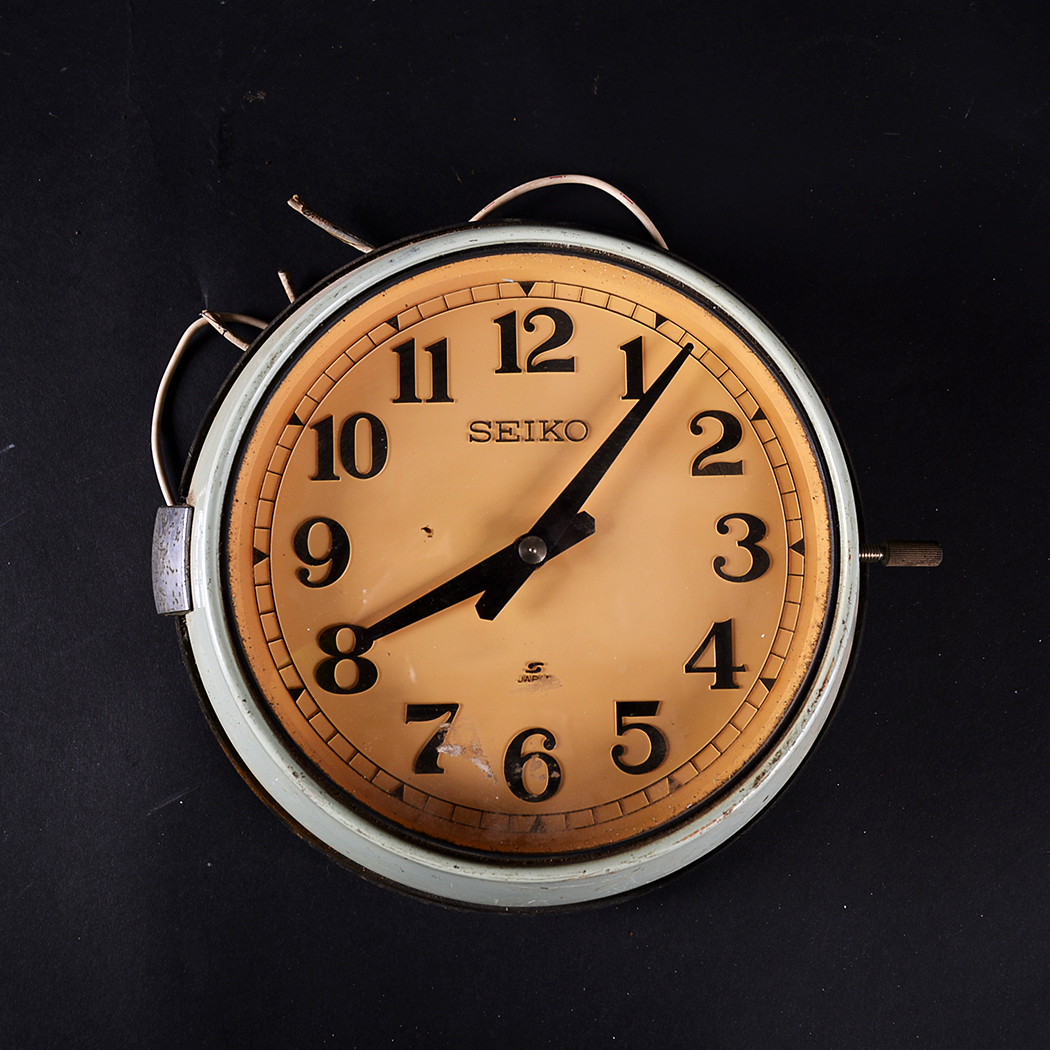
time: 8:06
